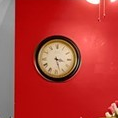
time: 3:27
